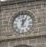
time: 12:05
